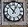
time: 12:53
